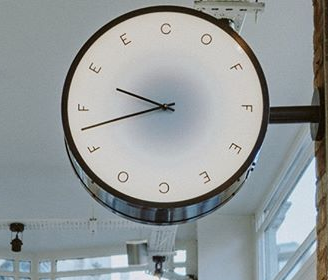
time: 9:42
